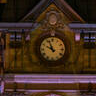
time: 9:56
